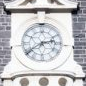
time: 2:39
